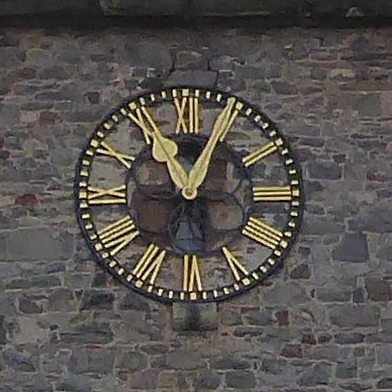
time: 11:04
